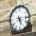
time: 5:15
